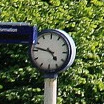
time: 4:46
